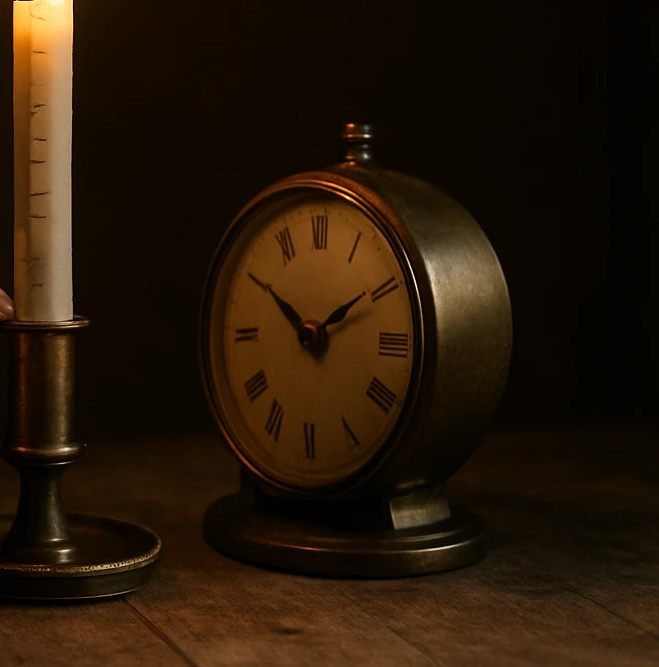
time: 1:50
